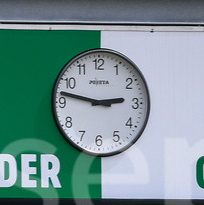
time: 2:46
